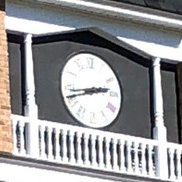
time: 2:42
